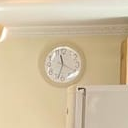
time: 11:33
